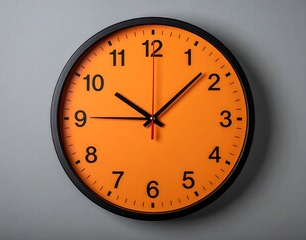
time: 10:07
